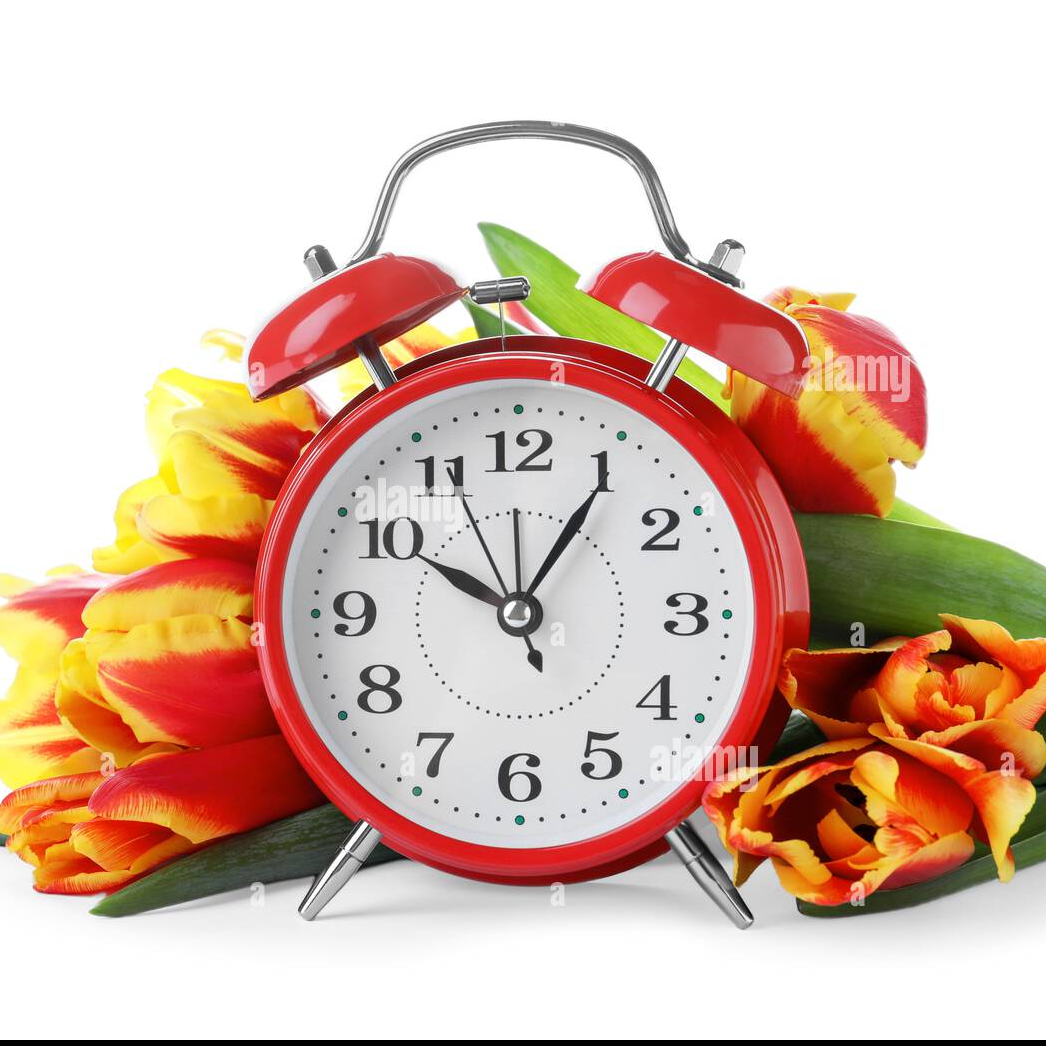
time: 10:05
